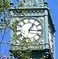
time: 1:16
